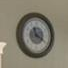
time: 11:20
